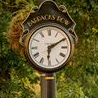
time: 6:10
